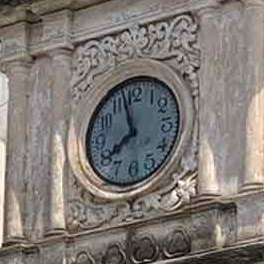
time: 7:57
